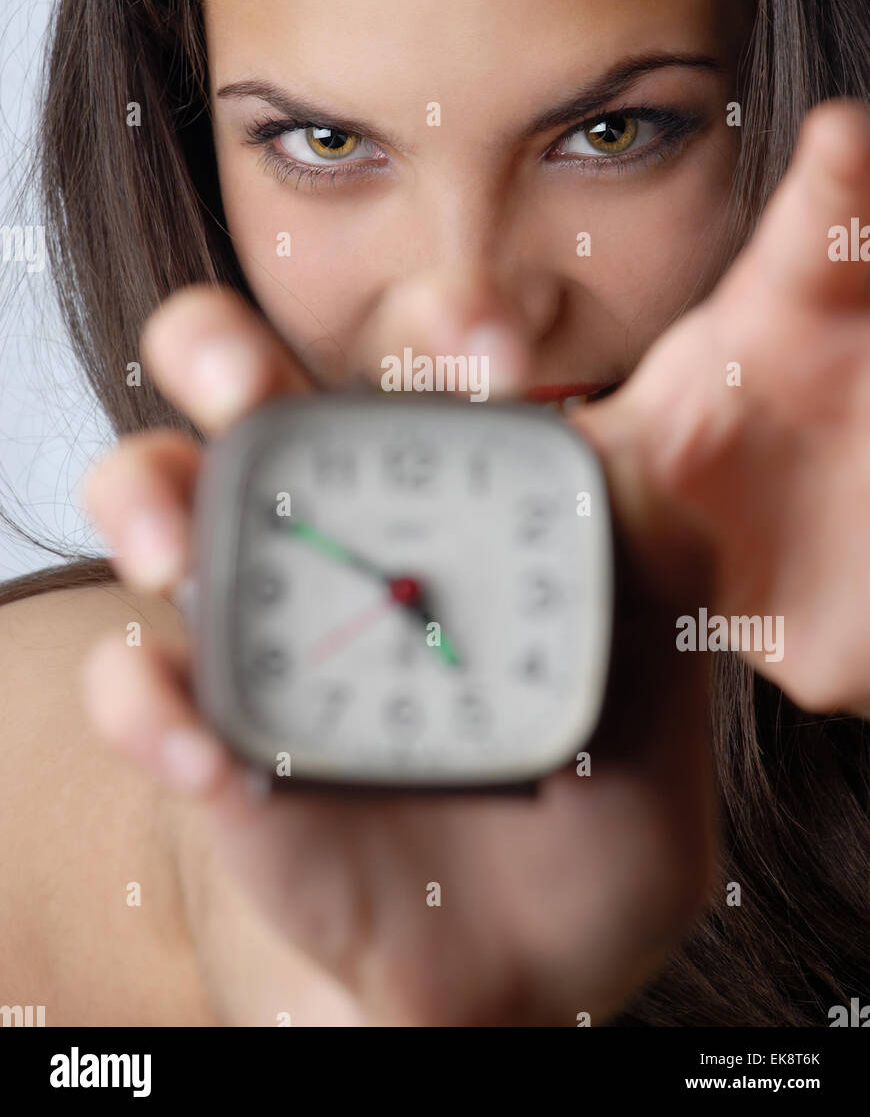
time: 4:49
